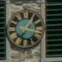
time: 1:16
